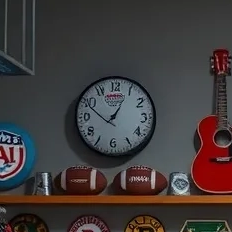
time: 12:49
